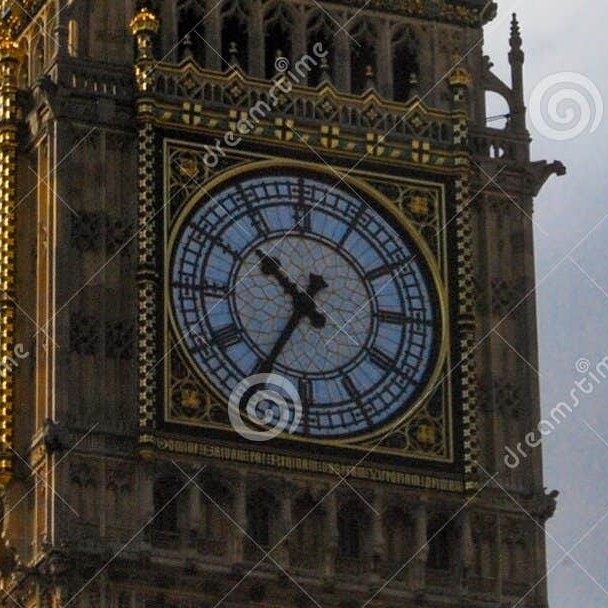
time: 10:34
